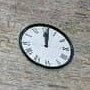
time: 12:01
